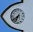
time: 6:38
